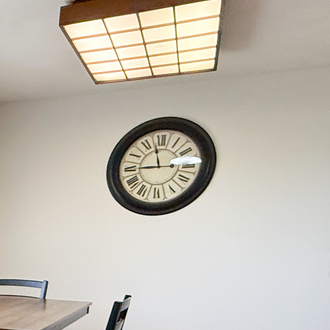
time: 8:57
